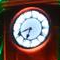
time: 6:41
